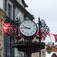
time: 9:45
